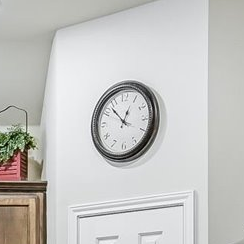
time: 12:52
